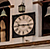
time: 9:15
